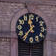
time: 11:36
